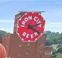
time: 4:12
